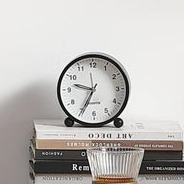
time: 9:34
